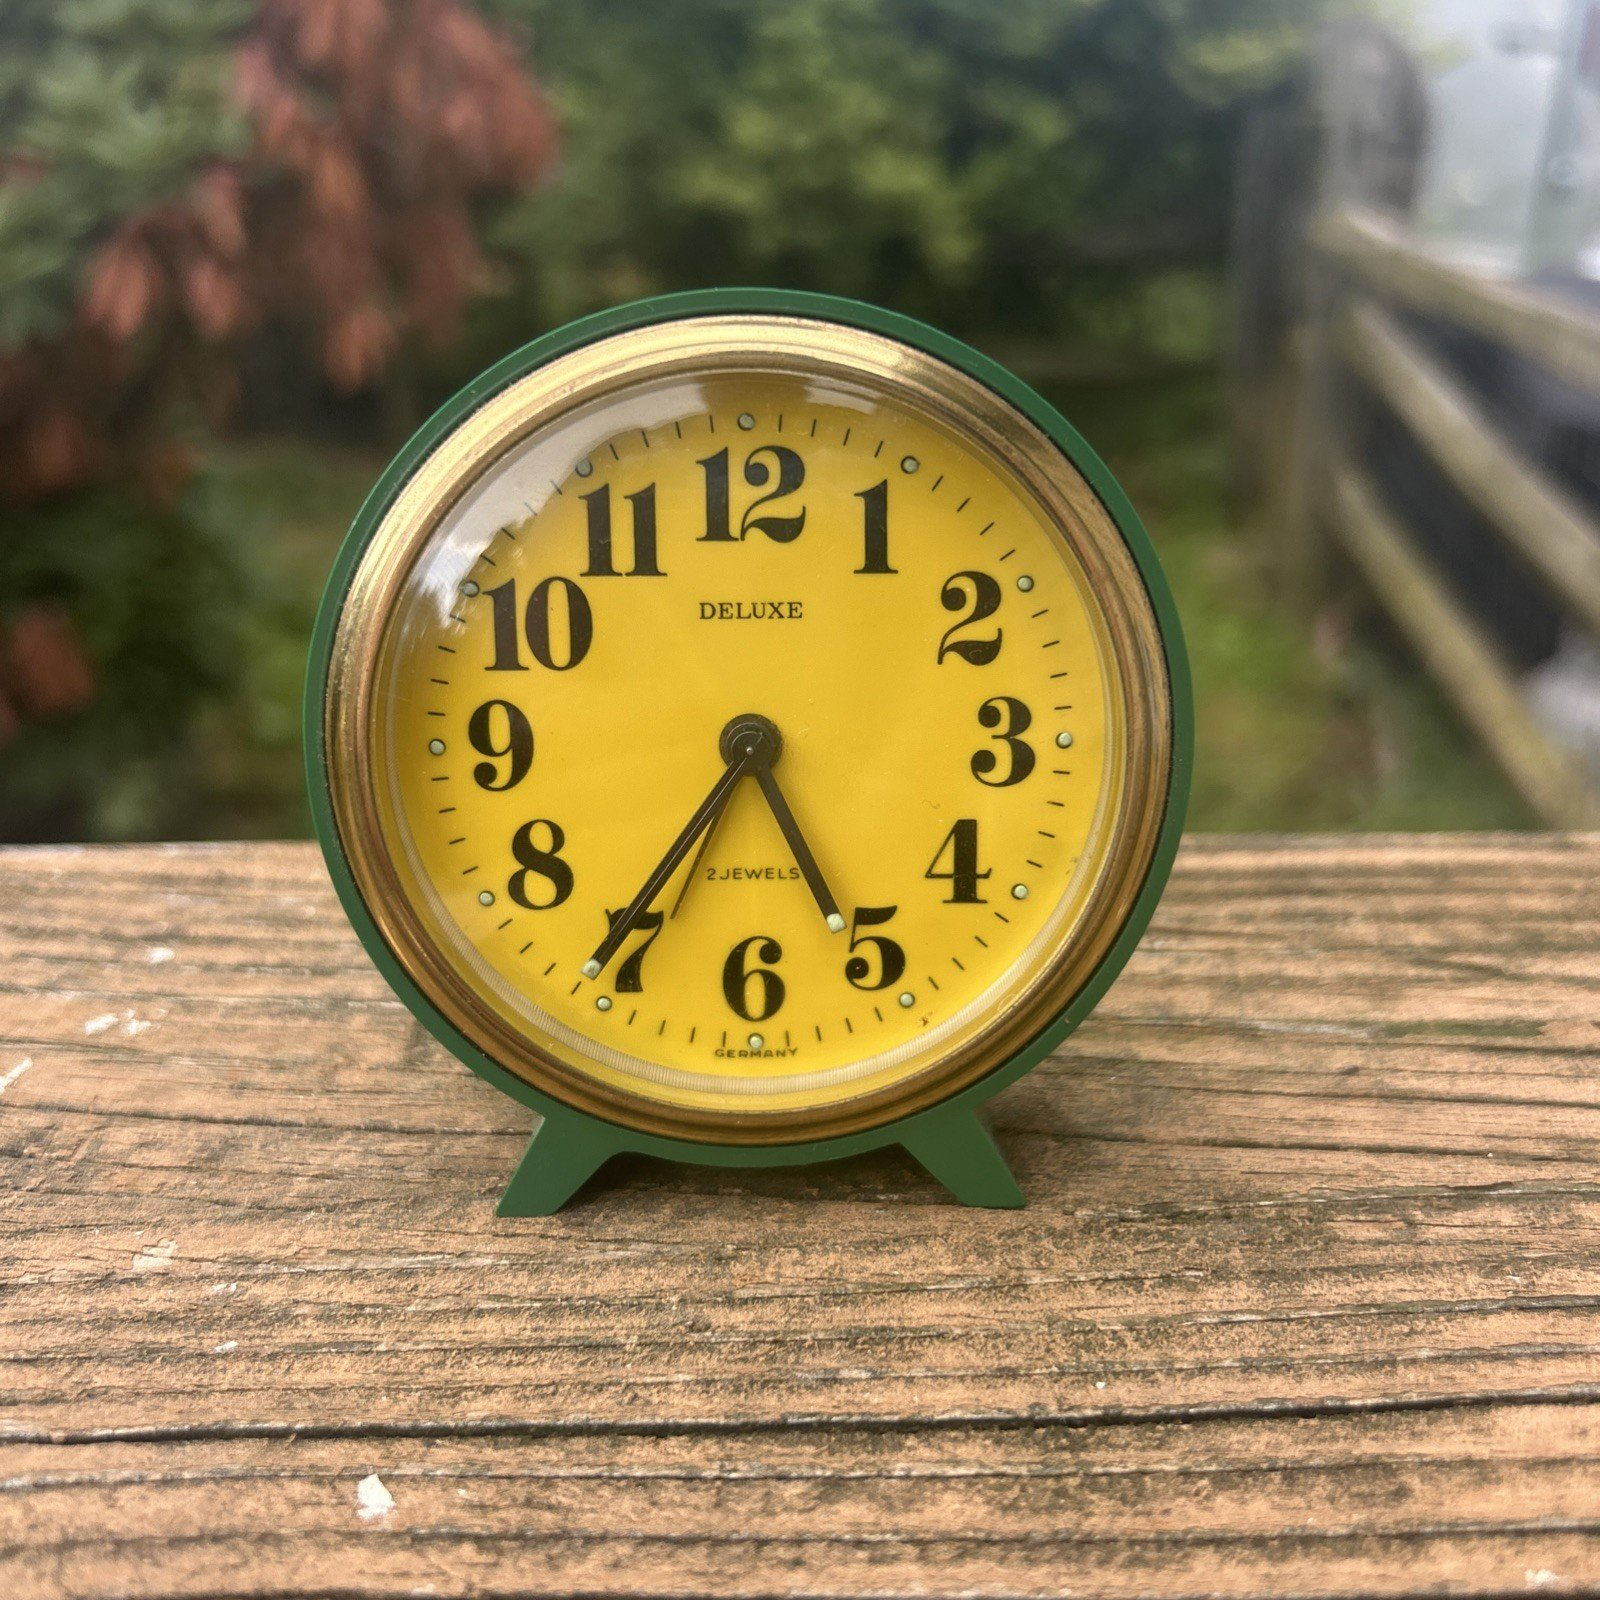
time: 4:35
